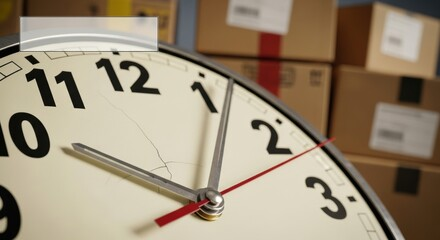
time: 10:05
